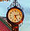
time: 5:12
